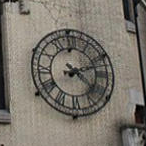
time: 4:12
